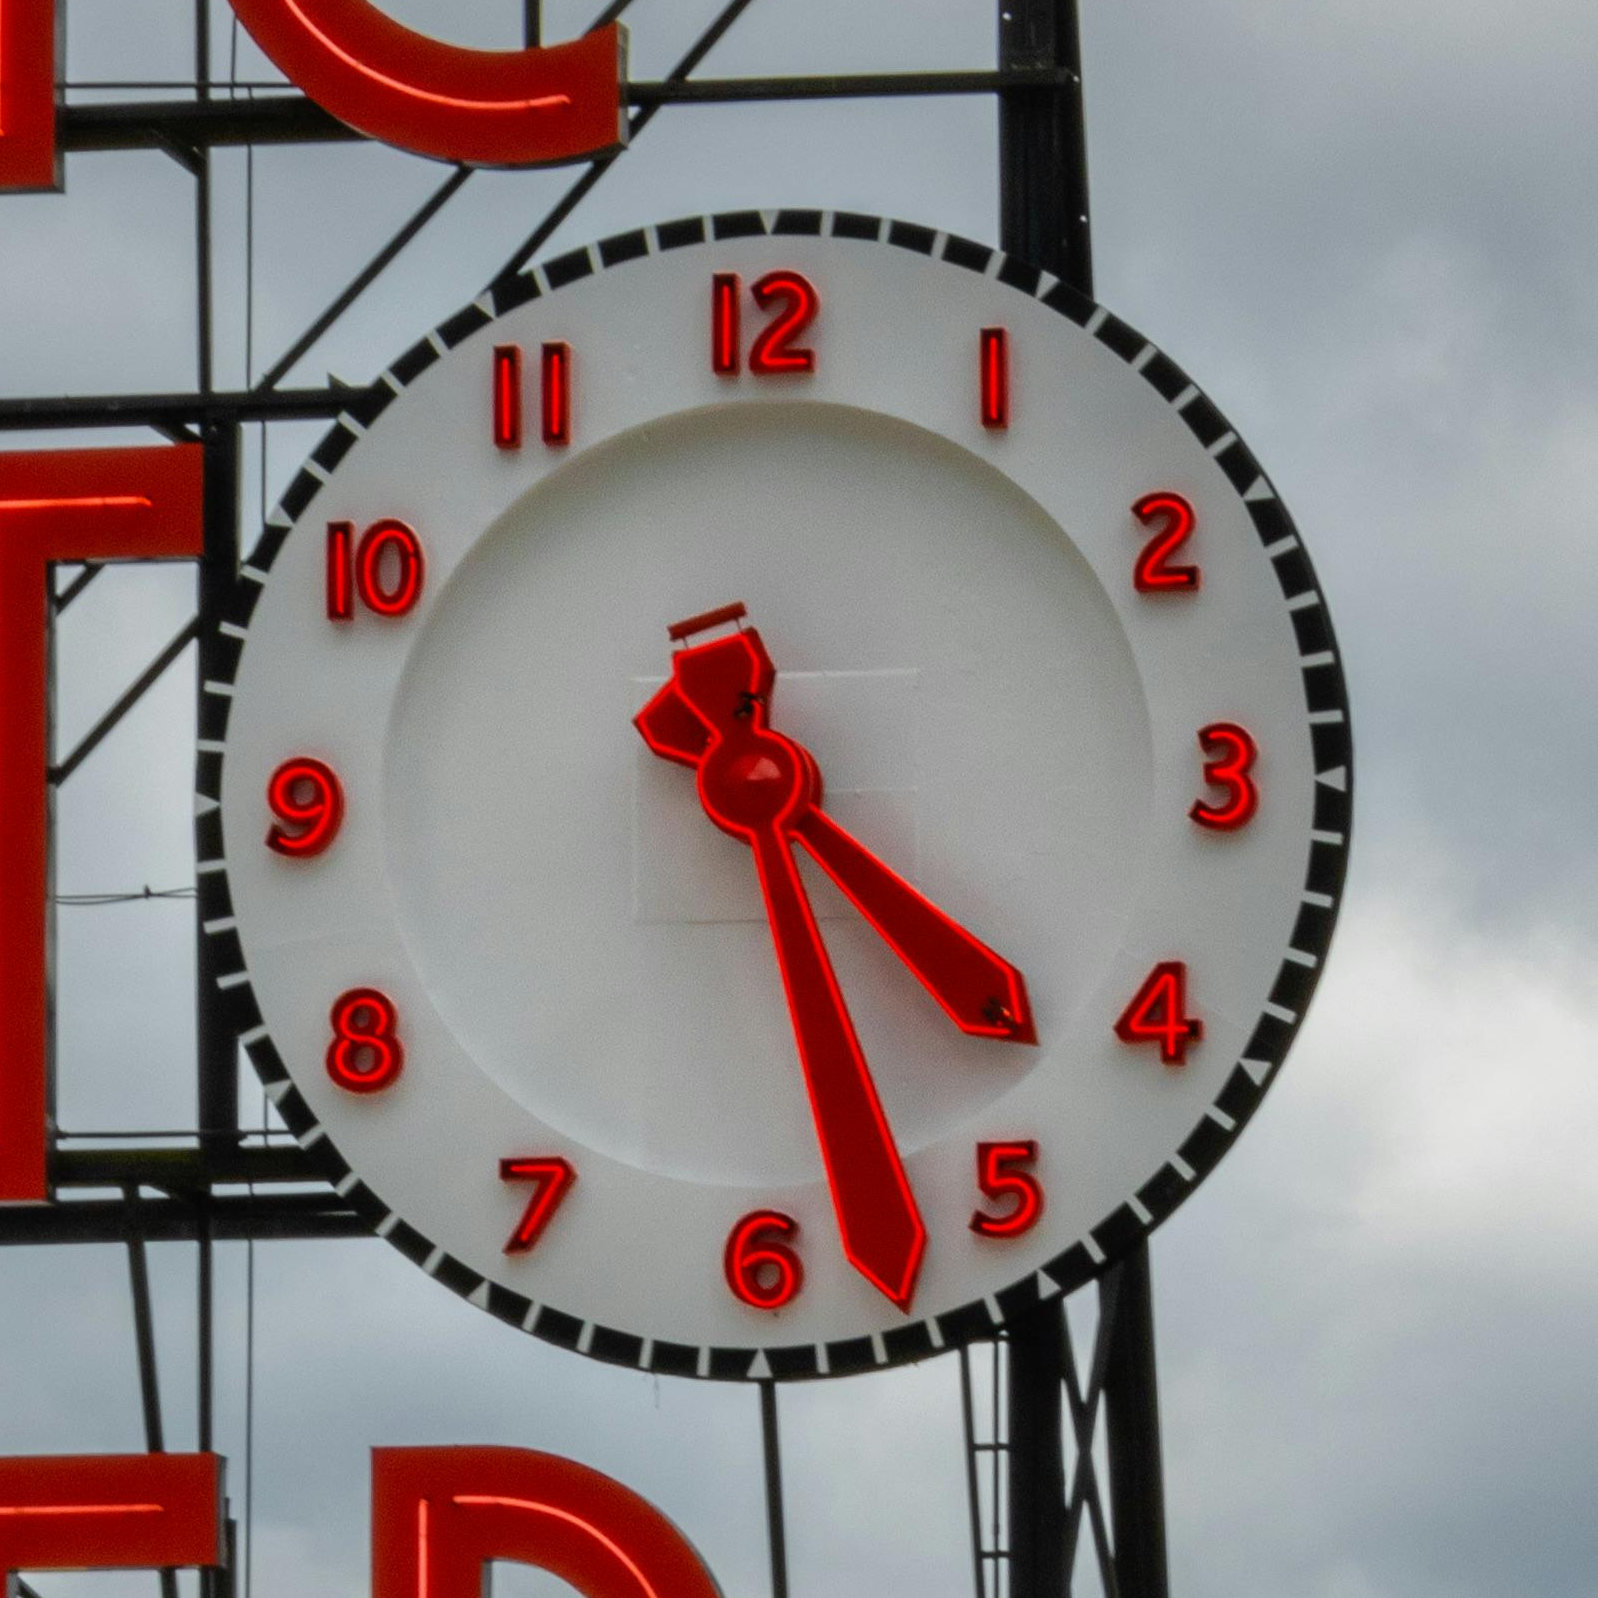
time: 4:27
